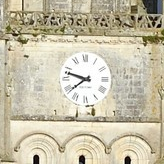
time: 7:47
